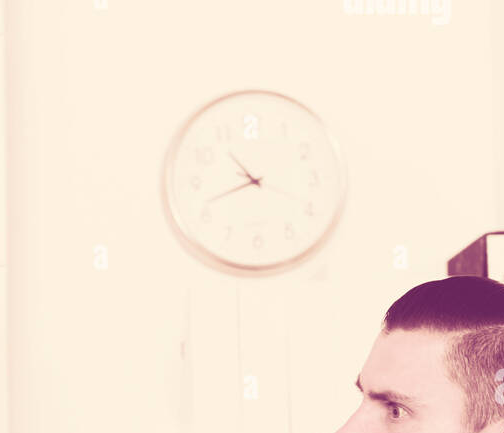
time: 10:41
